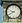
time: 9:40
